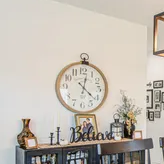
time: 12:21
